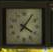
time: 4:06
